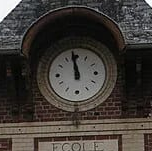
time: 11:58
